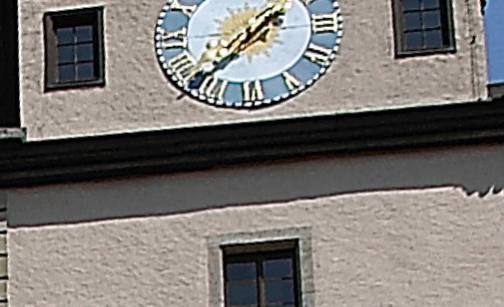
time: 1:37
